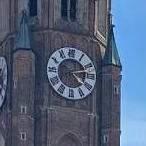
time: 4:12
